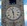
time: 11:28
